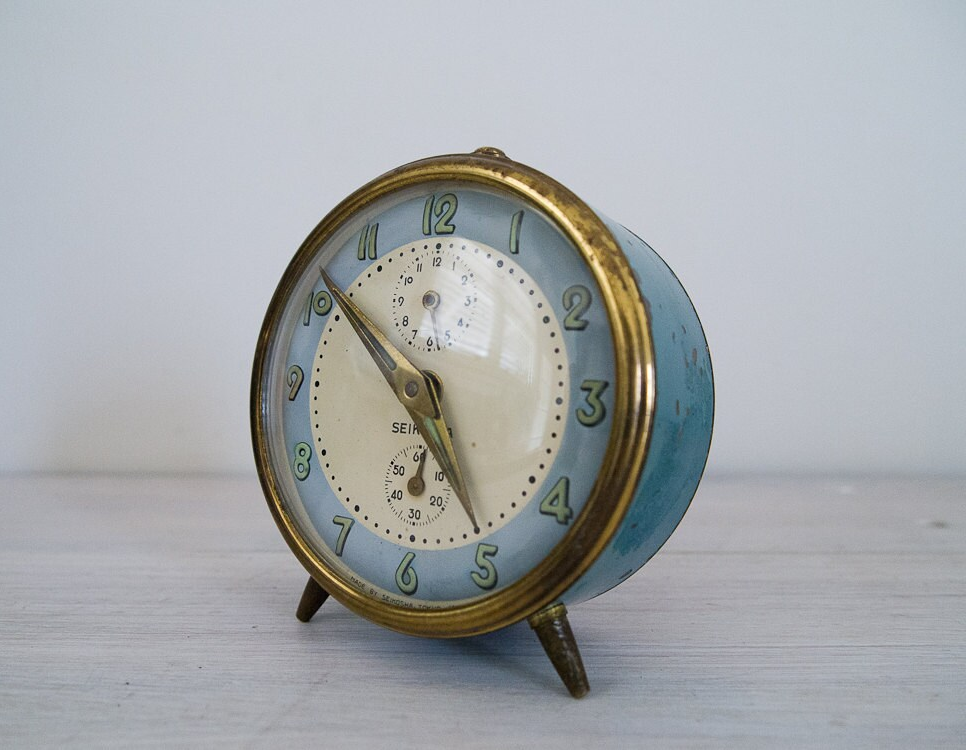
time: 4:51
